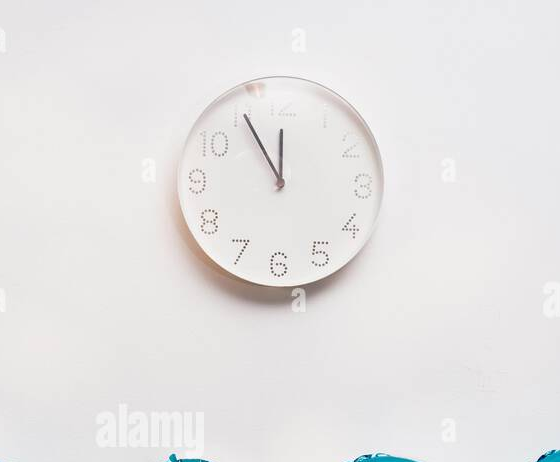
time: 11:54
